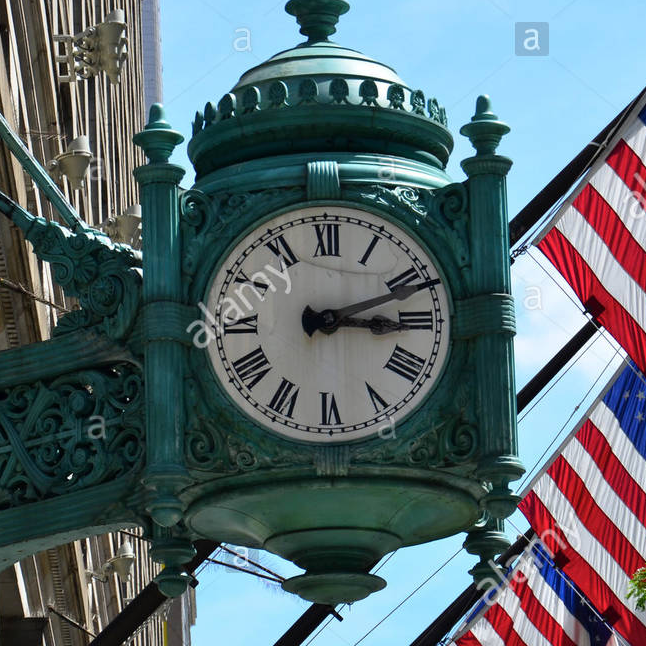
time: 3:11
